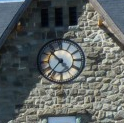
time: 10:36
